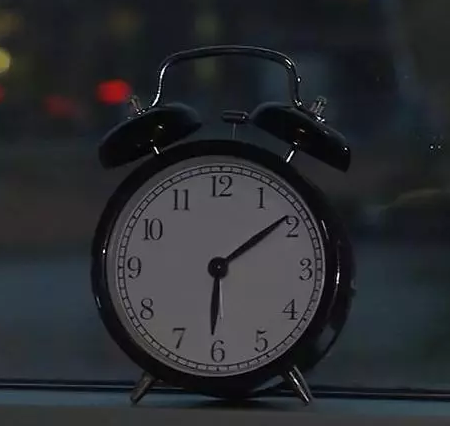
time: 6:08
